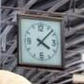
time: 4:07
